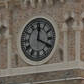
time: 12:19
